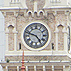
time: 4:47
